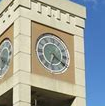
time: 6:20
